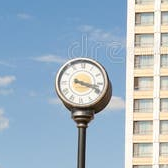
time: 3:18
